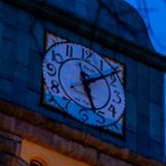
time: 5:08
